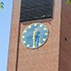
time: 6:29
